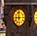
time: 8:58
